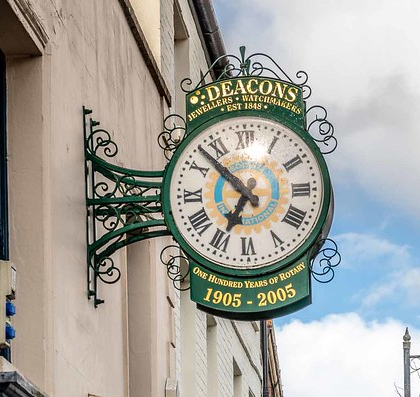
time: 6:52
